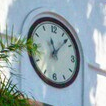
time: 11:07
